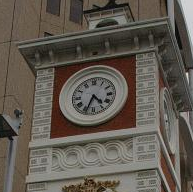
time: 4:34
